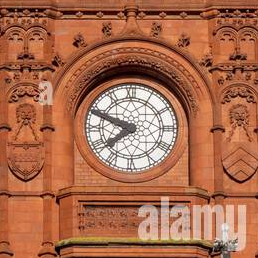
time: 7:48
